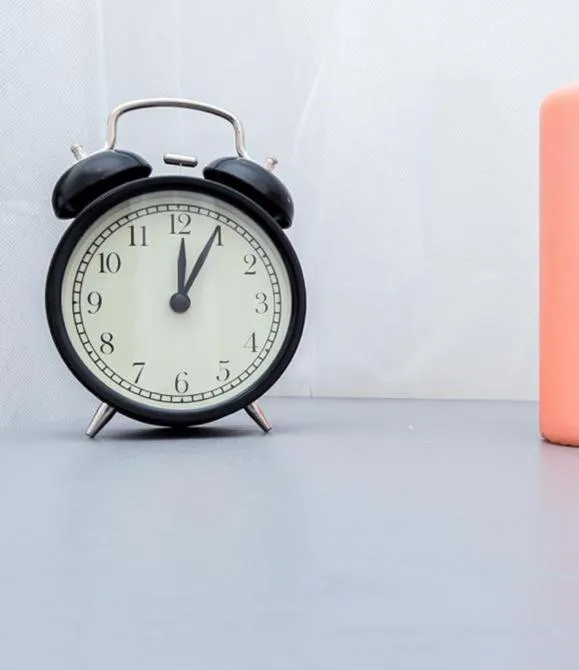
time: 12:04
